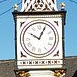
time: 10:04
